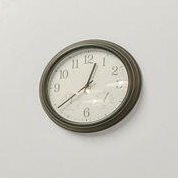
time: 12:38
